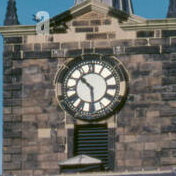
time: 10:28
